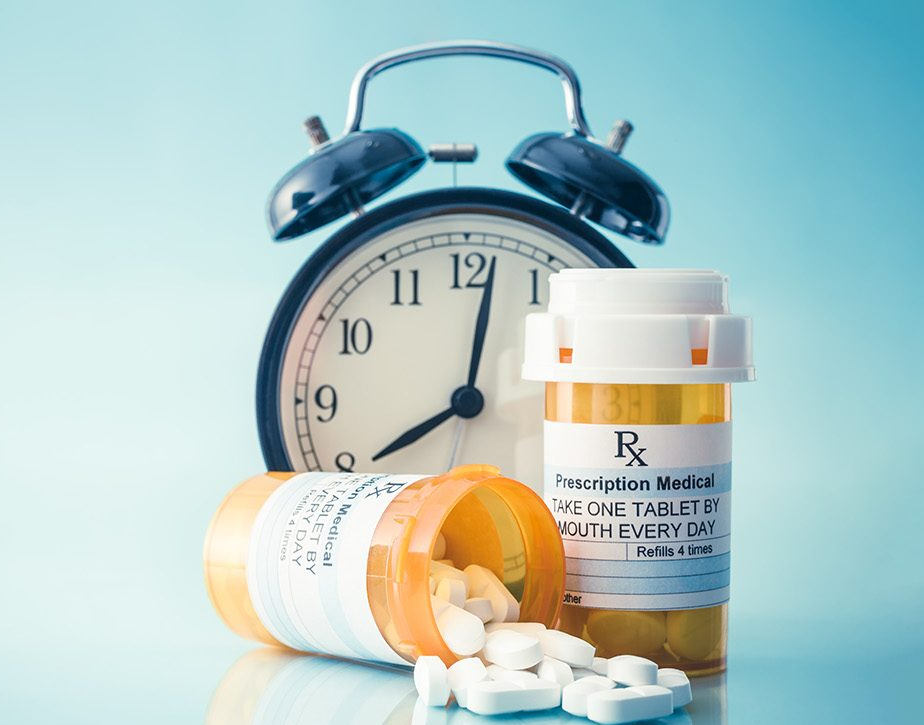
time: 8:02
